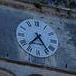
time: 7:24
